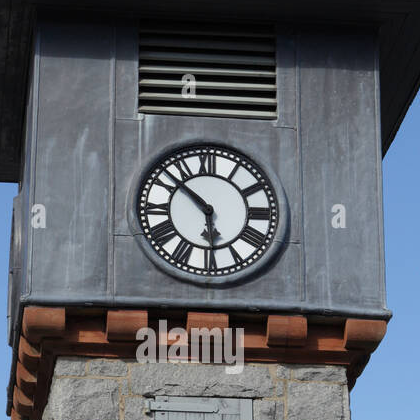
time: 5:51
